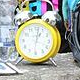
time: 1:01
